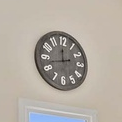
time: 11:42
